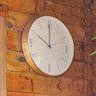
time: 10:00
